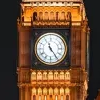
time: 11:24
